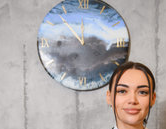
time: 11:53
